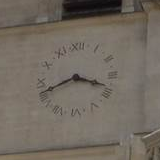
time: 3:41
